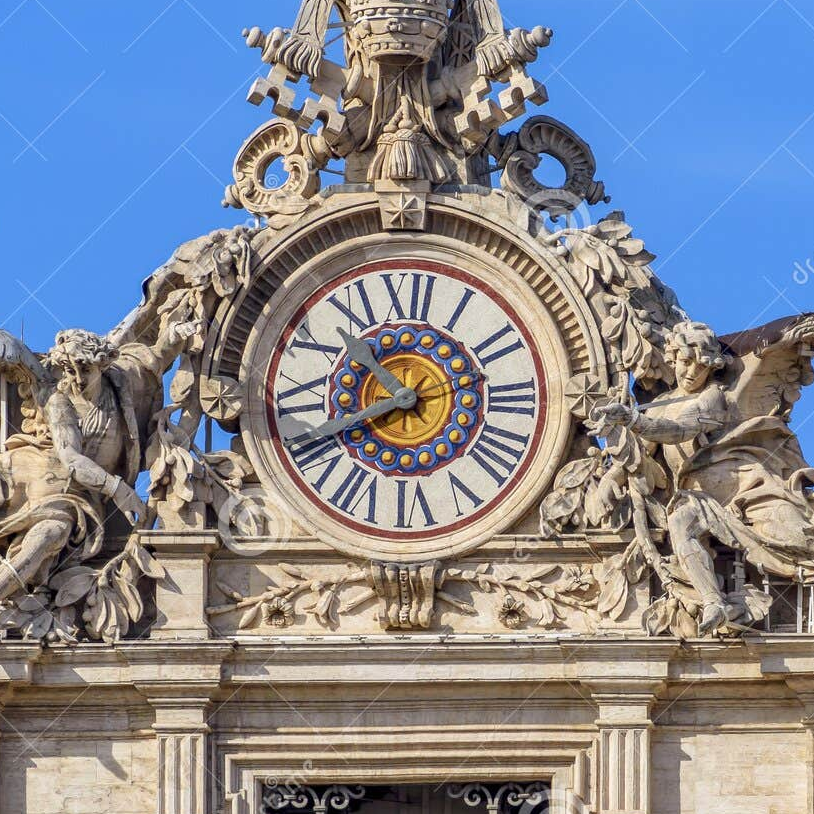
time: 10:40
